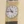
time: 10:45
